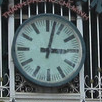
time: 3:02
